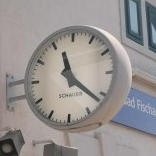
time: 11:21
